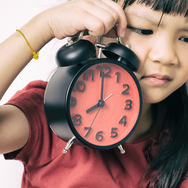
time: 7:59
